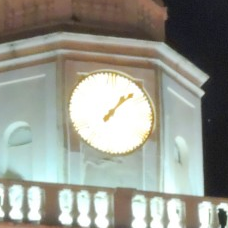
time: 1:07
